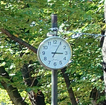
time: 3:04
